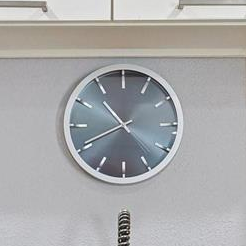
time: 10:40
